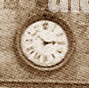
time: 2:52
